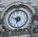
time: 9:33
